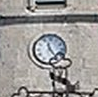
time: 11:23
